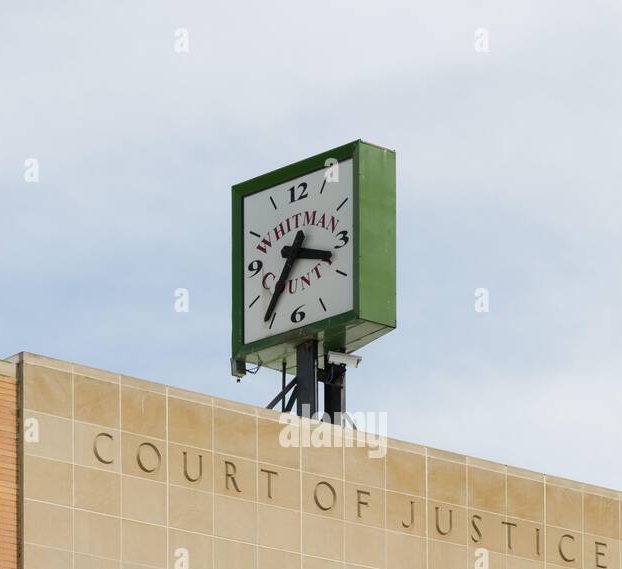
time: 3:35
